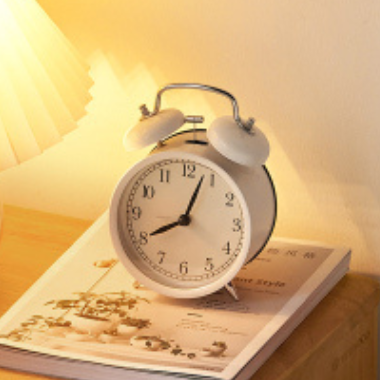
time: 8:03
